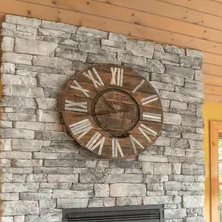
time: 10:42
